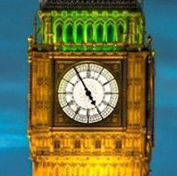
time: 4:54
